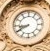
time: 8:40
